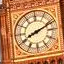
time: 8:11
